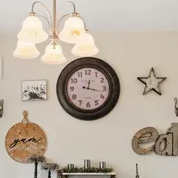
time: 12:17
